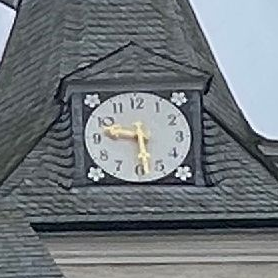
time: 9:28
